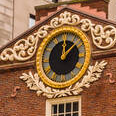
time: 12:07
